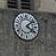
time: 4:08
